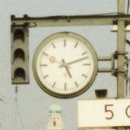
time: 5:12
